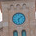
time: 6:08
